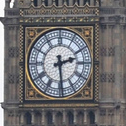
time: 2:29
